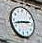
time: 2:42
